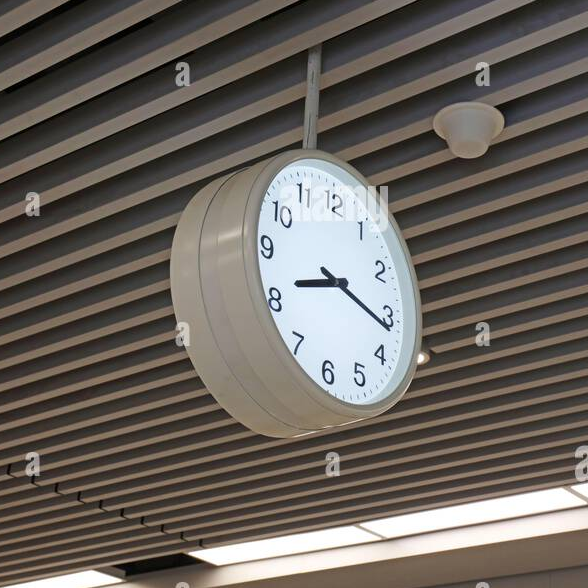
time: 8:16
